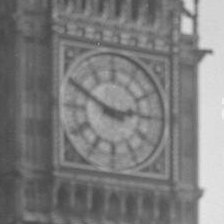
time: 2:49
